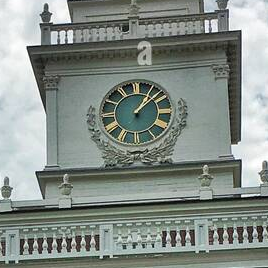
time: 1:08
